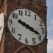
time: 3:48
